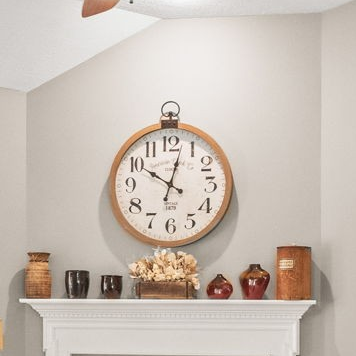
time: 10:02
